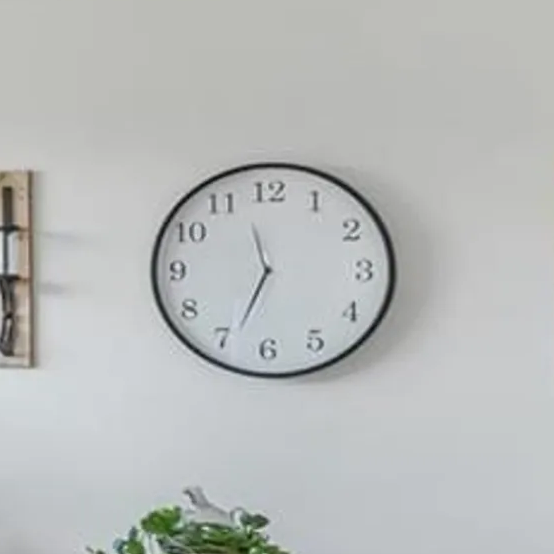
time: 11:33
